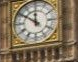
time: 11:50
